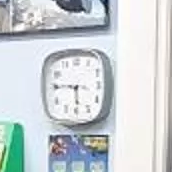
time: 5:45
